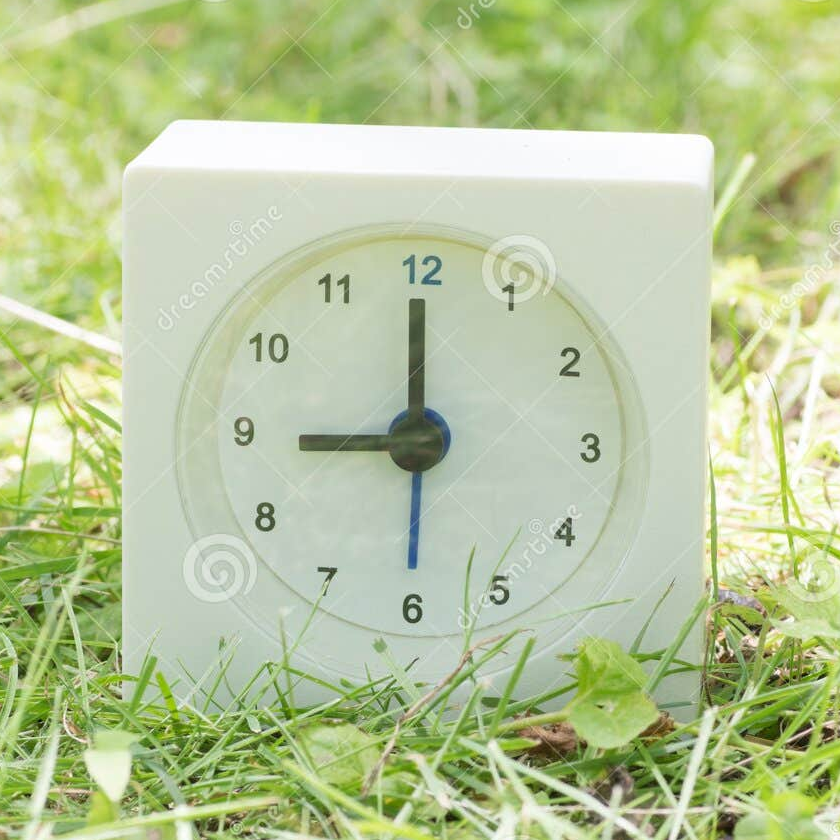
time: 8:59
